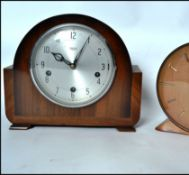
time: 10:04
